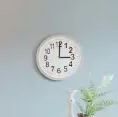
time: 3:00
